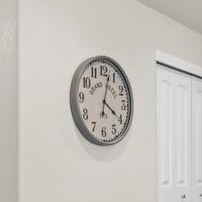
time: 4:02
